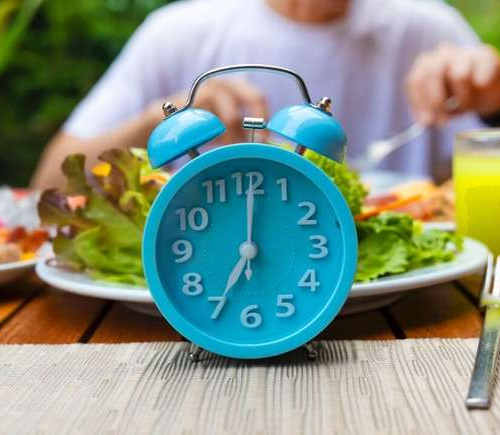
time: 7:00
